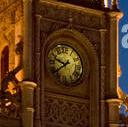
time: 9:38
